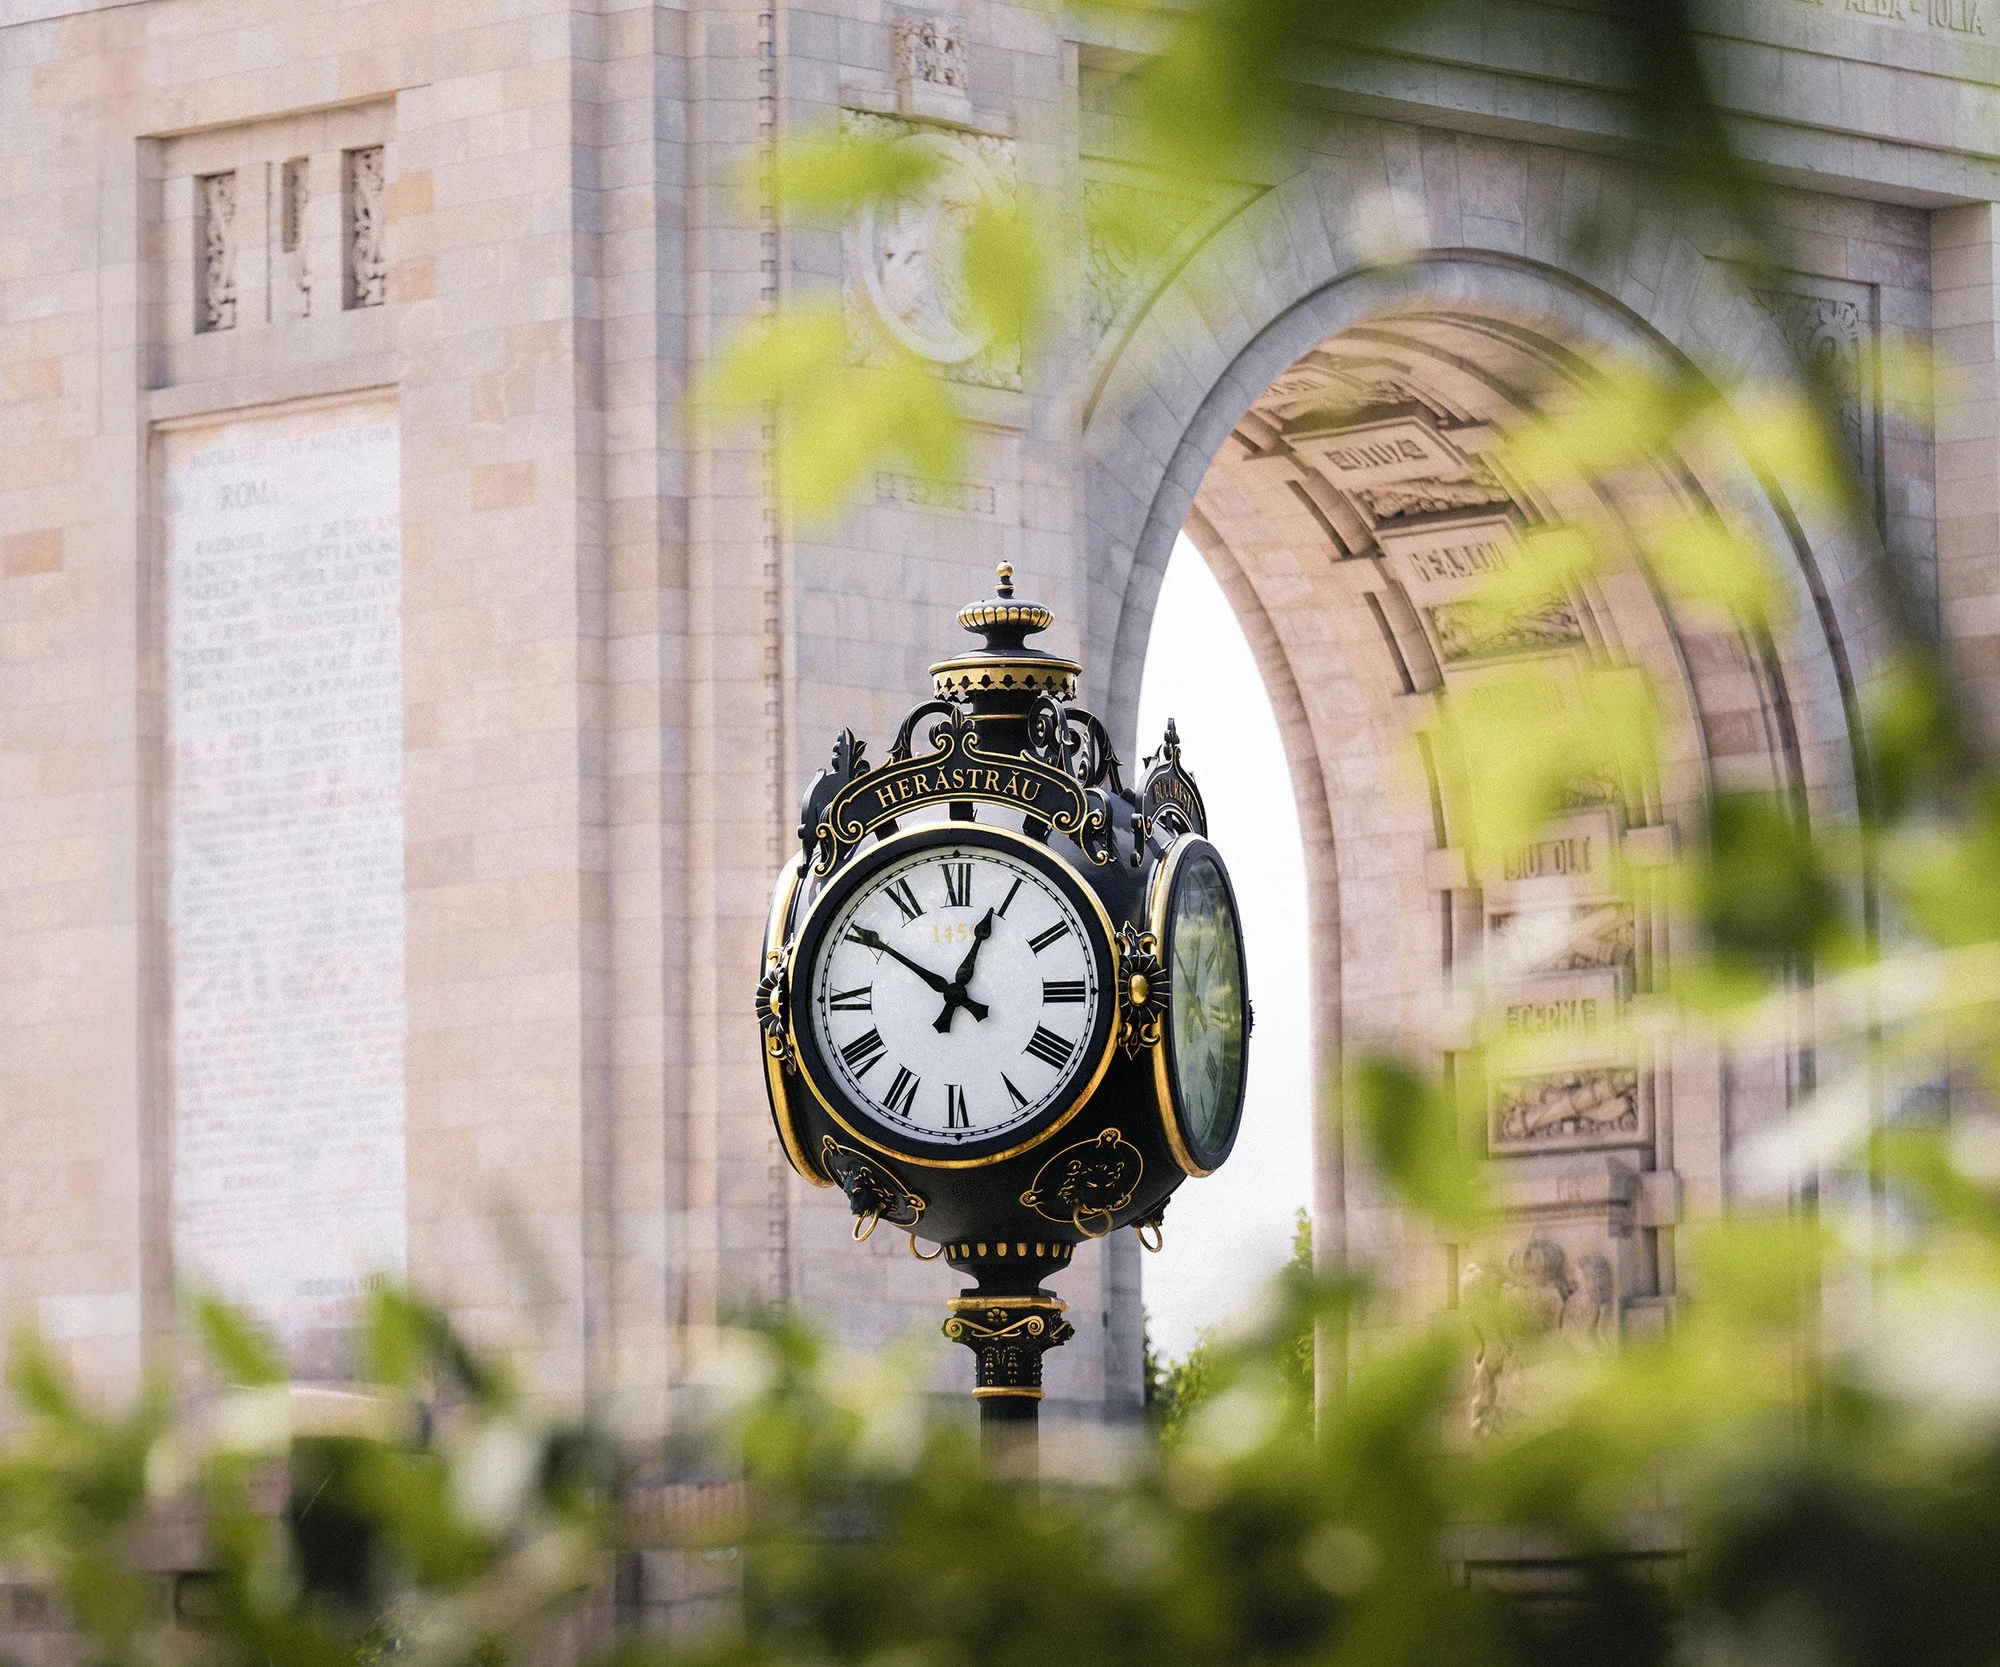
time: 12:49
